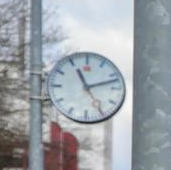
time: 11:12
